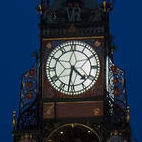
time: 4:31
